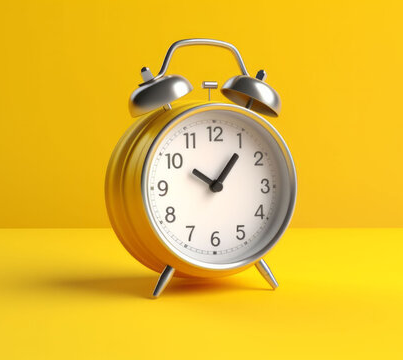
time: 10:06
